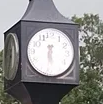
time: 5:31
